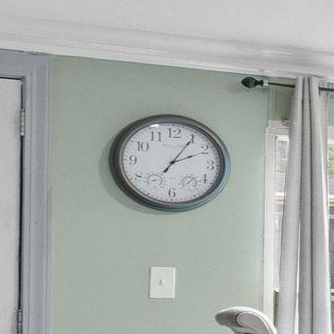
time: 2:05
